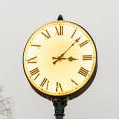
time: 3:07
